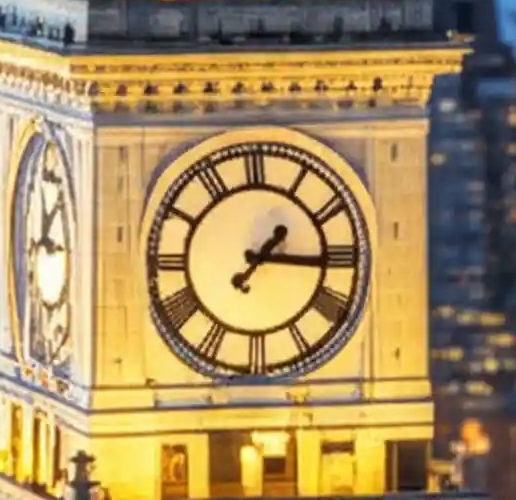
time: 1:15
